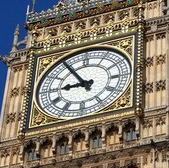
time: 8:54
